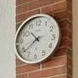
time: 10:38
